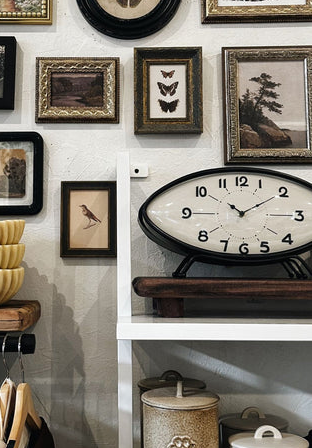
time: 11:09
